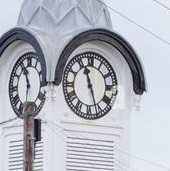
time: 11:26
